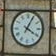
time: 4:04
